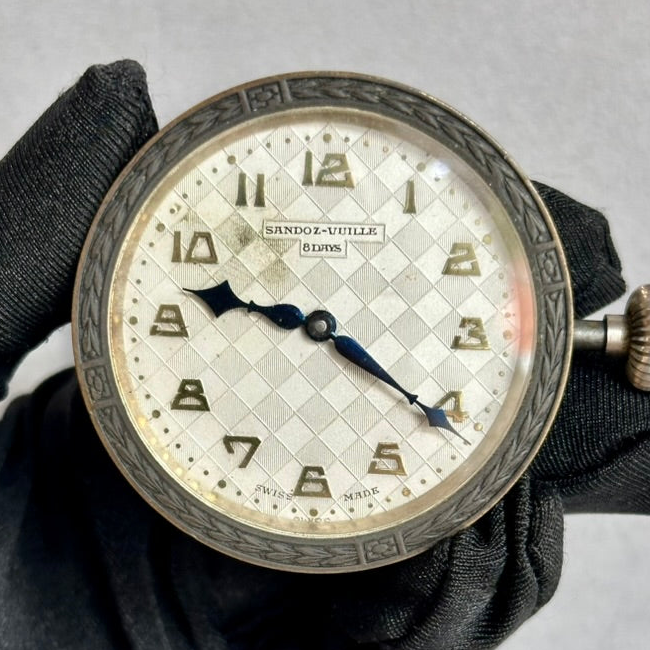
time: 9:20
